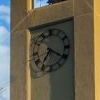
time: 7:20
